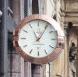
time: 11:05
